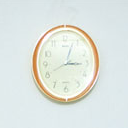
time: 3:03
